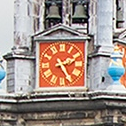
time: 2:25
